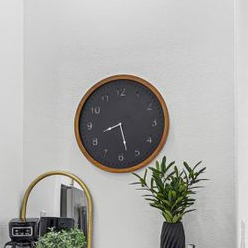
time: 8:27
